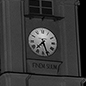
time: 7:26
